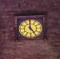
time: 4:59
